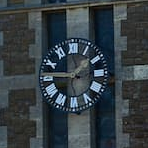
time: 1:46
